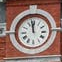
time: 11:58
